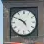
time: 4:50
